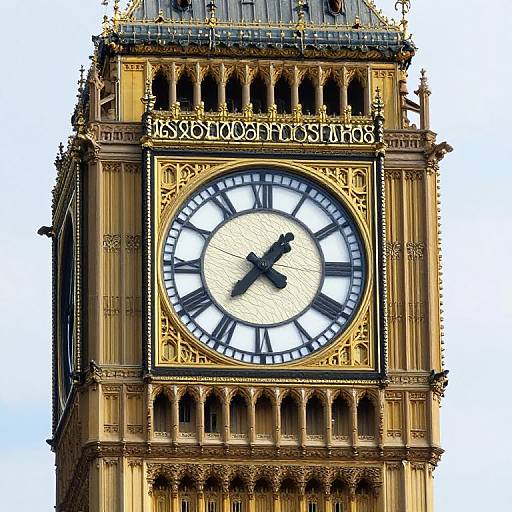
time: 1:37
